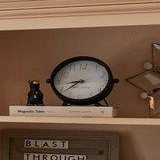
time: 8:38
